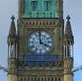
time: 3:58
